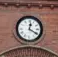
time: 12:20
